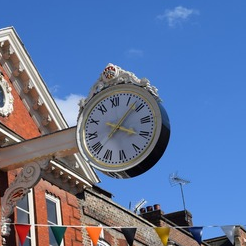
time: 4:07
